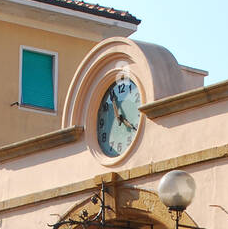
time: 3:54
